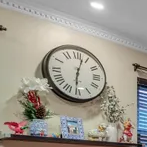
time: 6:02
